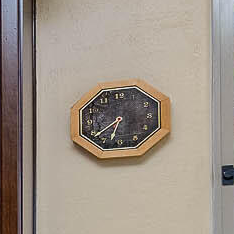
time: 6:38
